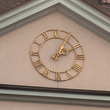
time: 2:05
